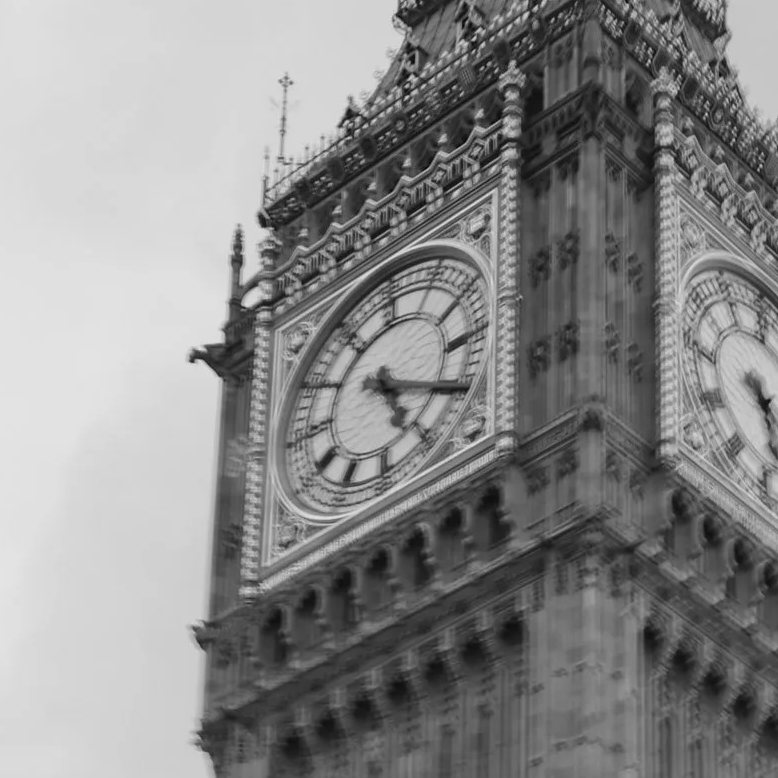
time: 5:19
